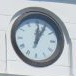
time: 12:05
